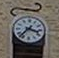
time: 3:36
